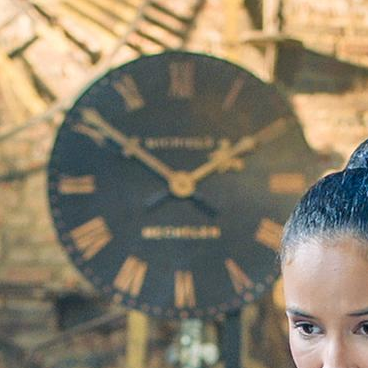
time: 1:51
